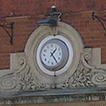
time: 1:24
